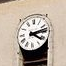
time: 4:12
